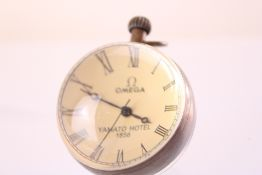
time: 3:49
